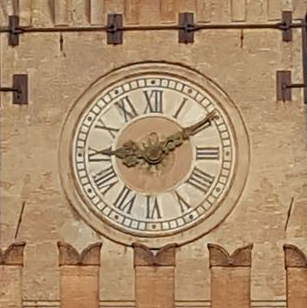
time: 9:09
